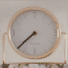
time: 7:37
